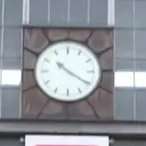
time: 10:20
